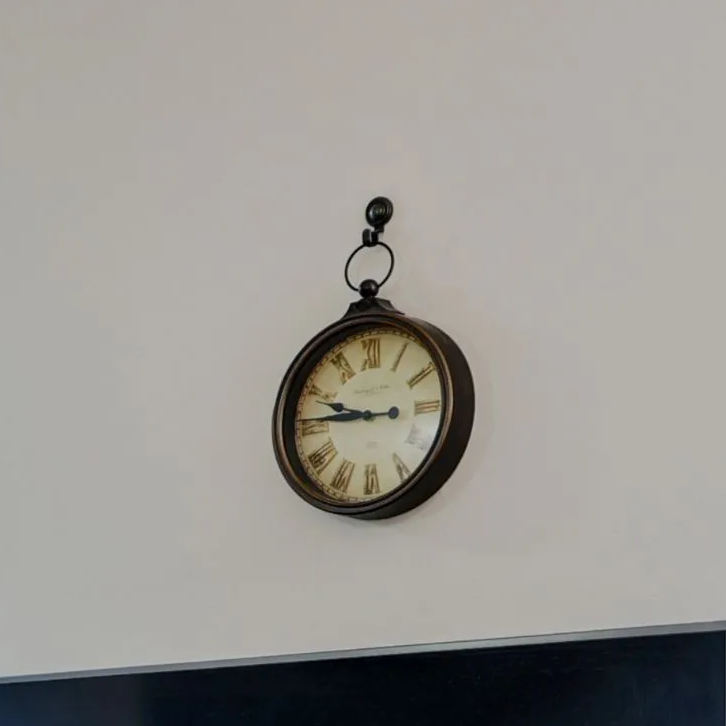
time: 9:45
